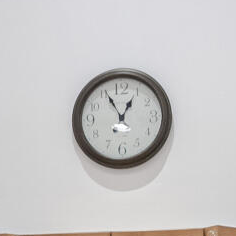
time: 12:55
